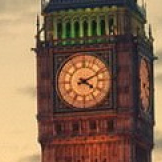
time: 4:10
